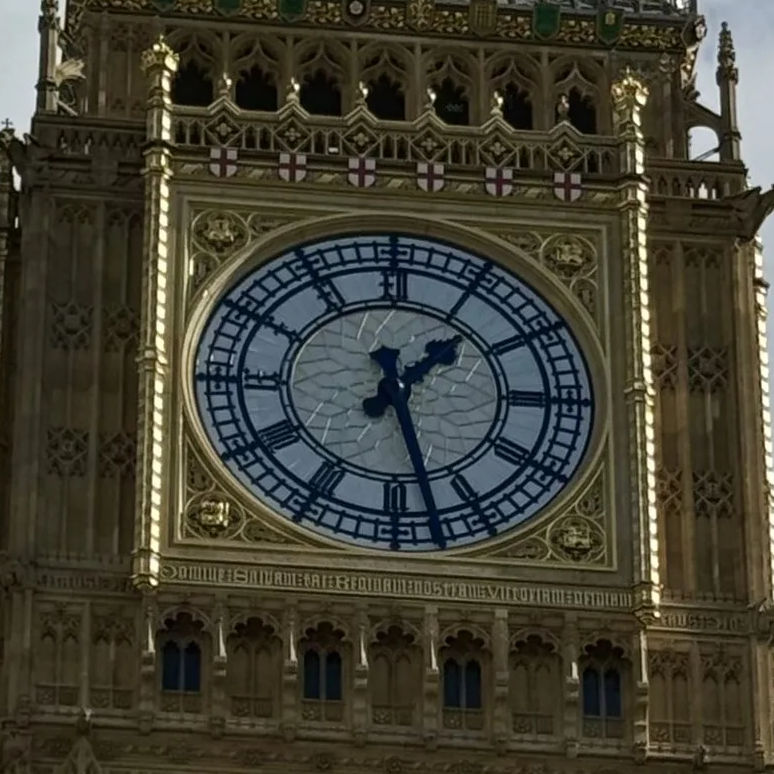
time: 1:27
